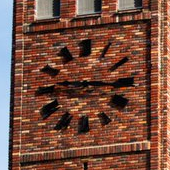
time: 2:45
